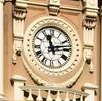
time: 11:13
